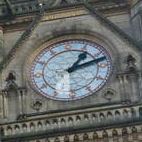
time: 1:11
